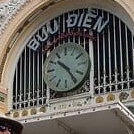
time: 10:24
